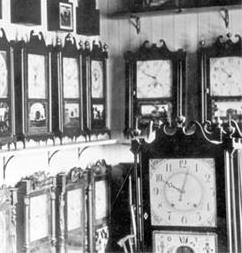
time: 10:02
